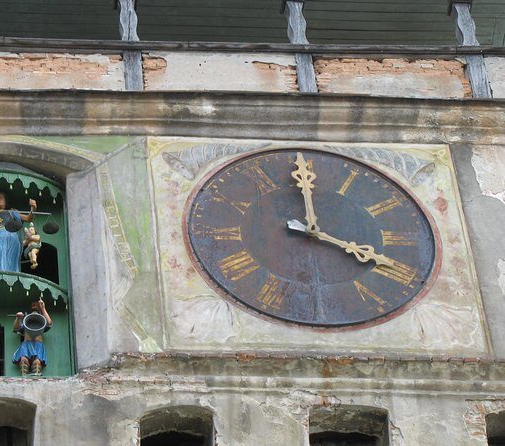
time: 3:59
